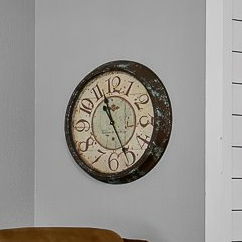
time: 11:25
